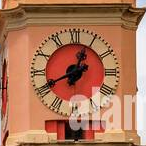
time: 12:40
